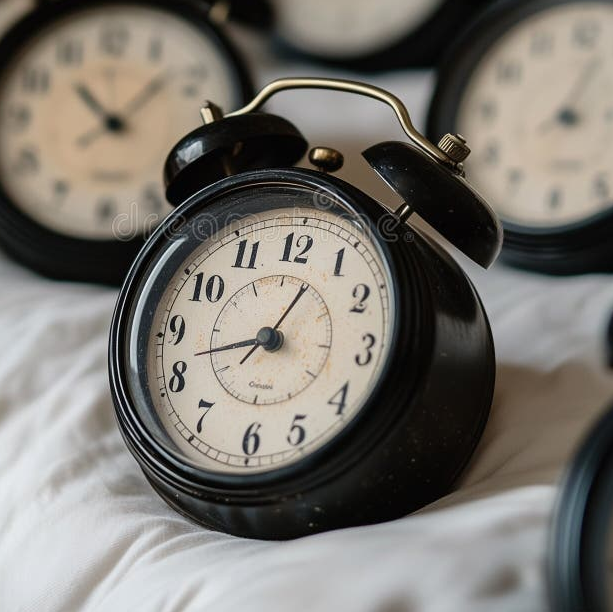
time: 12:42
